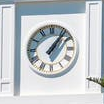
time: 1:06
